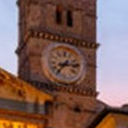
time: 2:36
